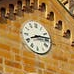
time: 8:13
